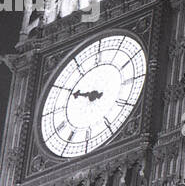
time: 9:49
